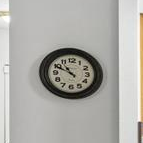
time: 10:49
